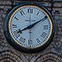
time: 8:09
